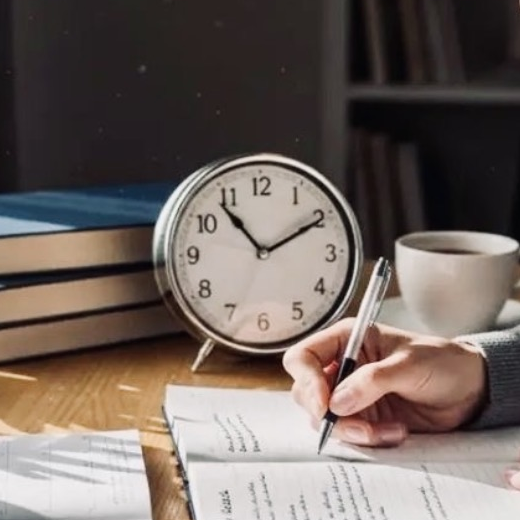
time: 1:53
